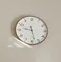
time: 9:27
